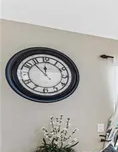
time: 11:53
